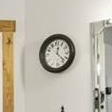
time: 12:22
